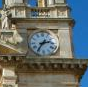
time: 2:36
